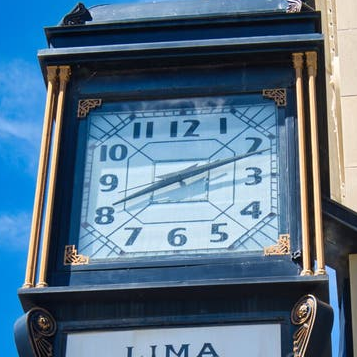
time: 8:11
